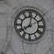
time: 8:01
